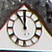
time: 11:54
